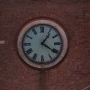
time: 4:06
